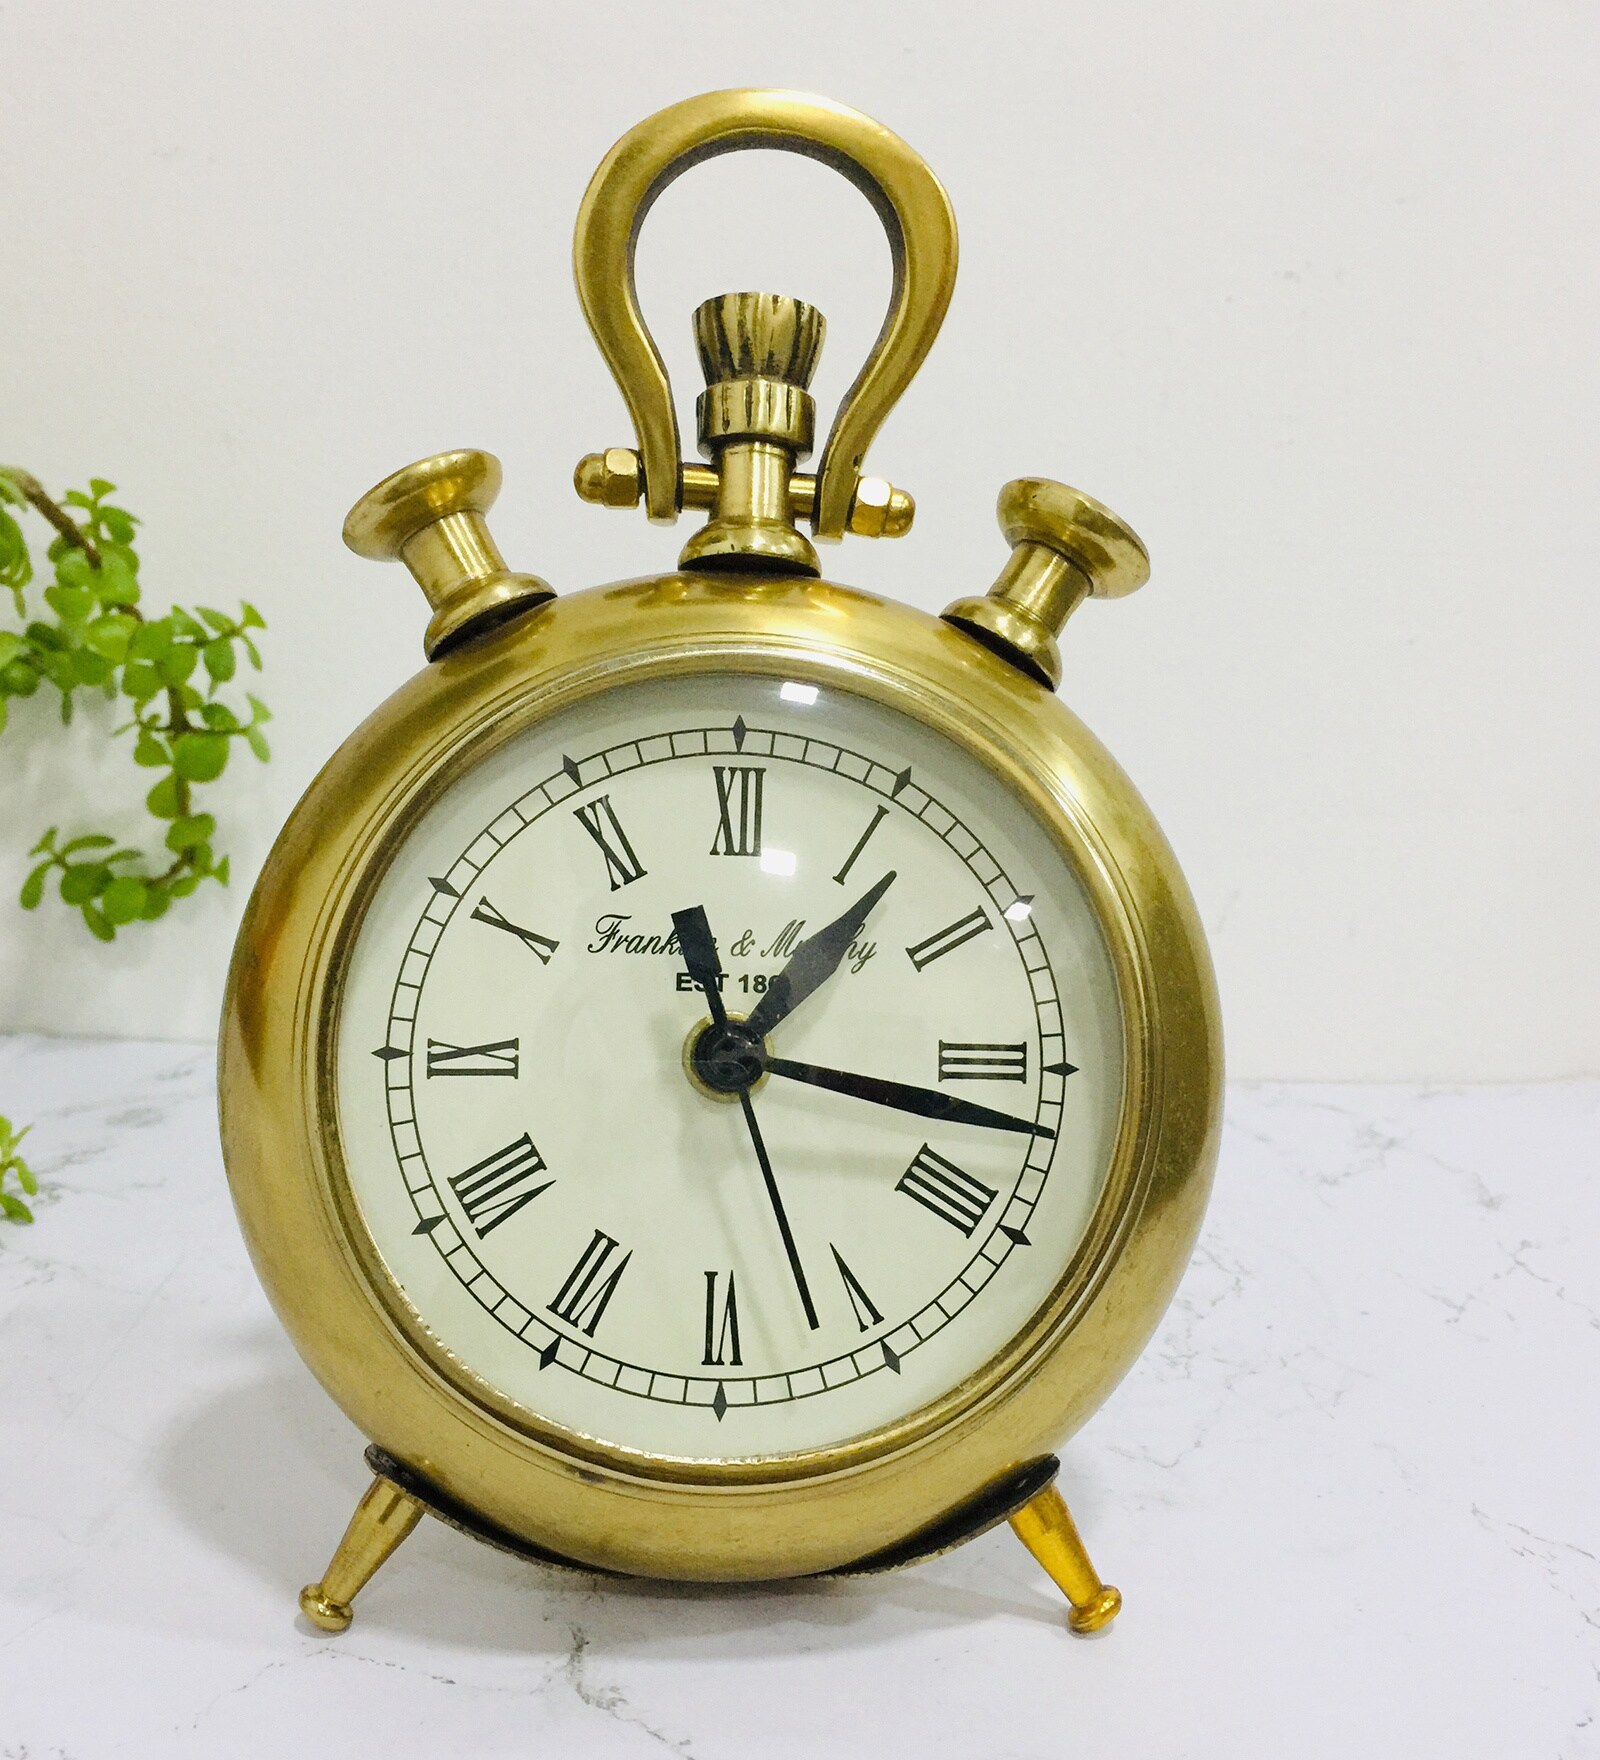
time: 11:16
